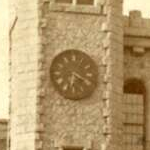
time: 6:20
